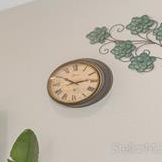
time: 10:13
